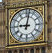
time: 9:01
